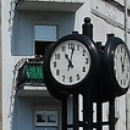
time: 11:02
